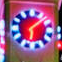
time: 6:08
